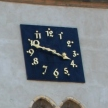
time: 3:48
